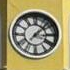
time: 3:07
